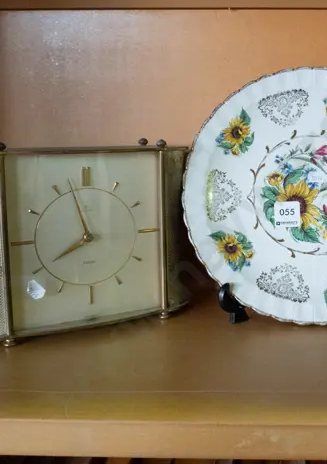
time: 7:57
